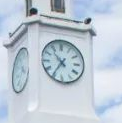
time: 10:35
